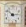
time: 2:52
